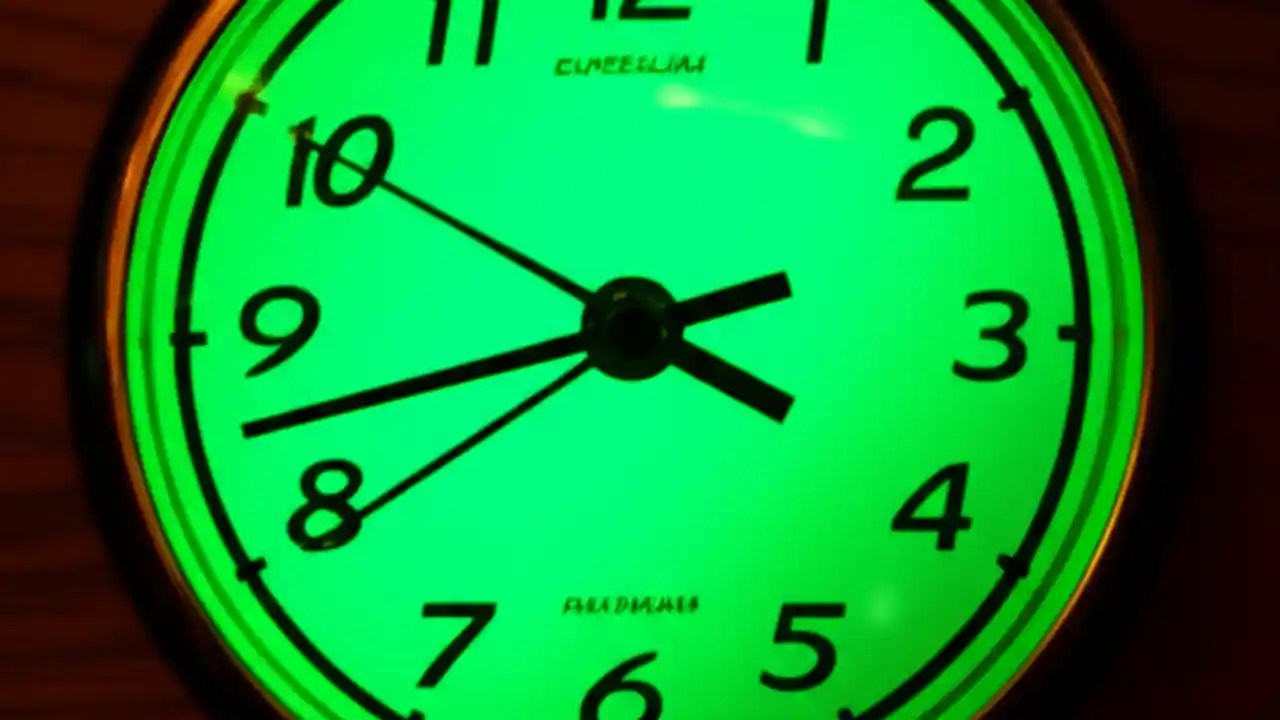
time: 3:42
